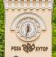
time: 5:31
